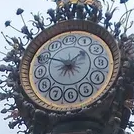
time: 1:50
